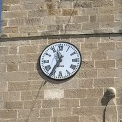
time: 11:35
